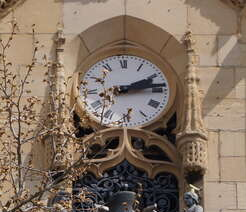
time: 2:13
